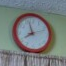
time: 7:57
